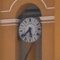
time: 5:38
